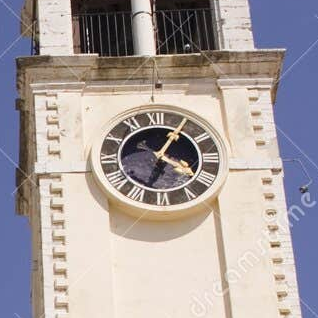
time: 4:04
